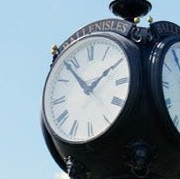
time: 1:53
